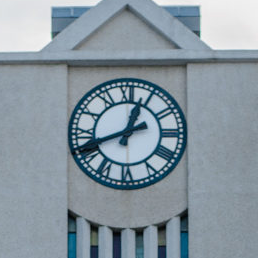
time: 12:41
